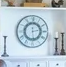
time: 2:29
